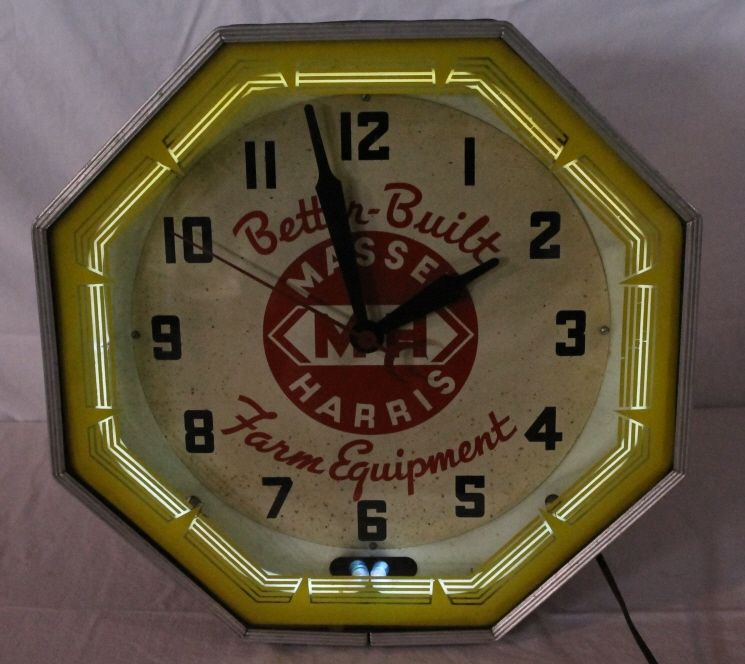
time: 1:57
